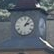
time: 2:06
